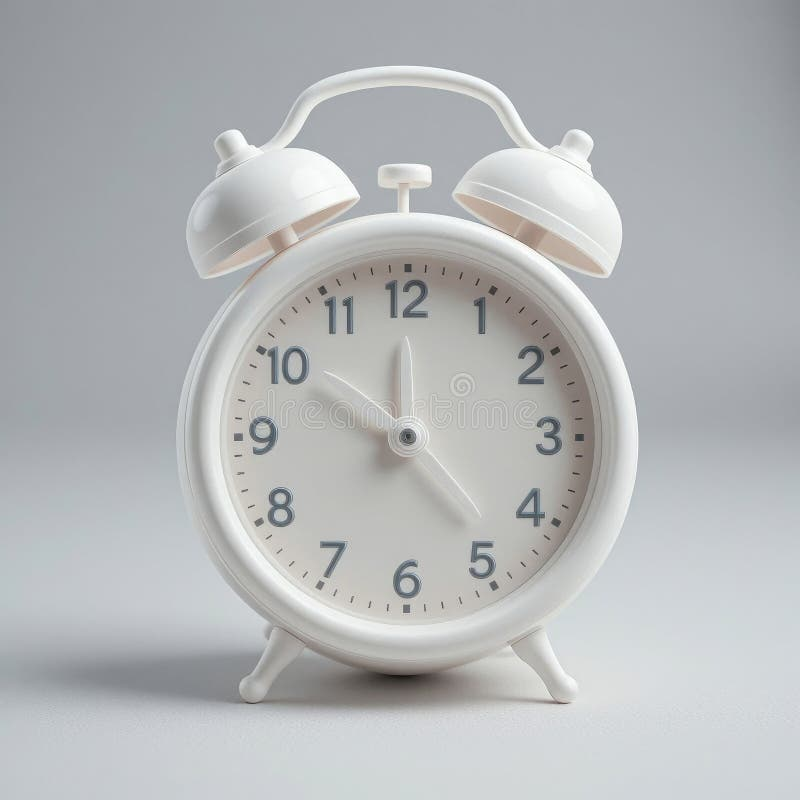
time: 11:49
